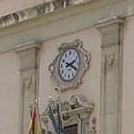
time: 2:18
